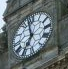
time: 6:58
